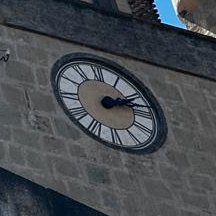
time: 2:13
